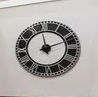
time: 1:58
